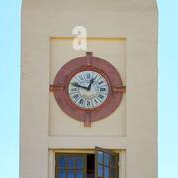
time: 12:47
